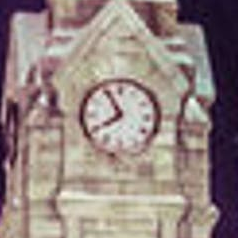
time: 7:54
